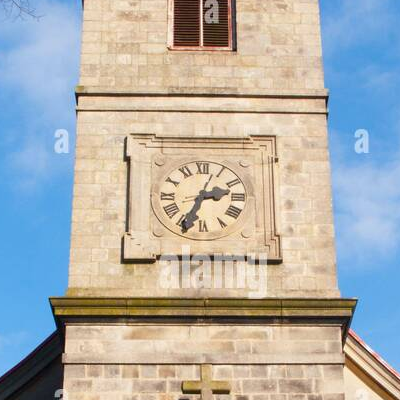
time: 2:33
